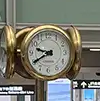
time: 9:40
